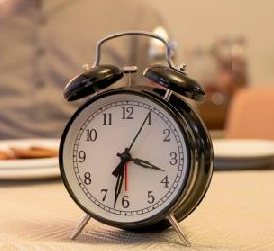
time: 3:32
